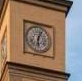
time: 6:03
